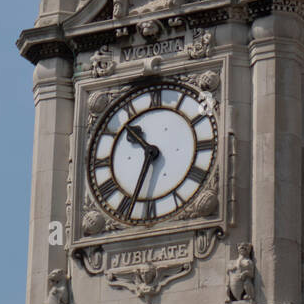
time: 10:34
